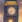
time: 4:42
